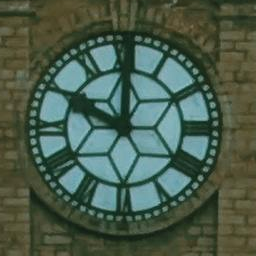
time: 10:00
